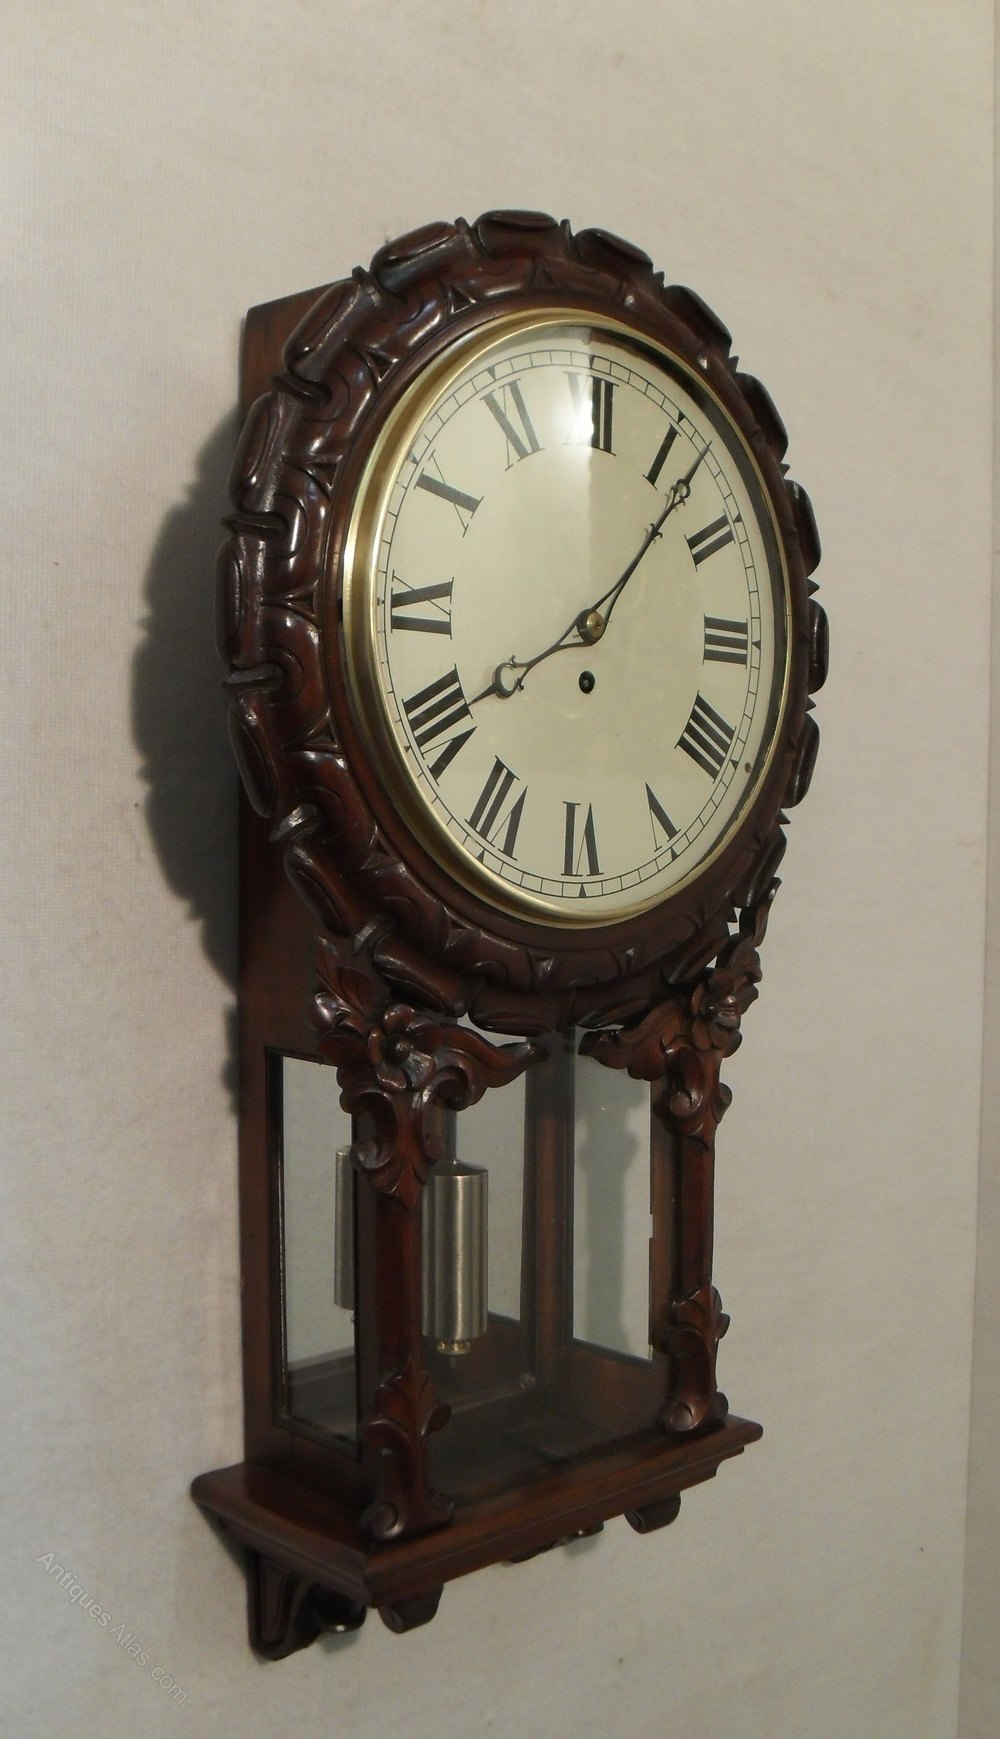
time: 8:06
